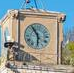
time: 5:54
